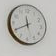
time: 11:40
